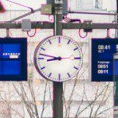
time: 8:47
